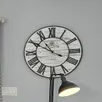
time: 10:49
